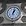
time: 1:02
